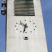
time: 10:32
